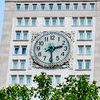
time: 2:29
